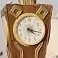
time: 4:17
